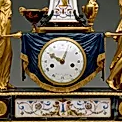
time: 10:03
